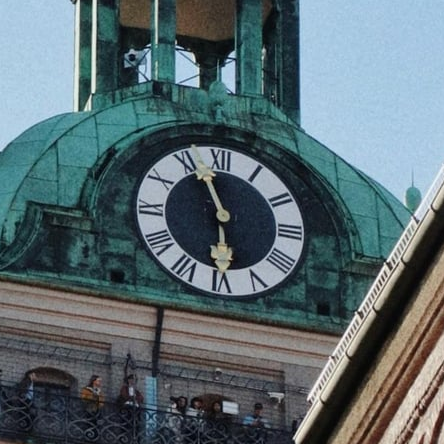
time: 5:56
